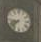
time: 8:38
